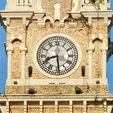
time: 8:29
